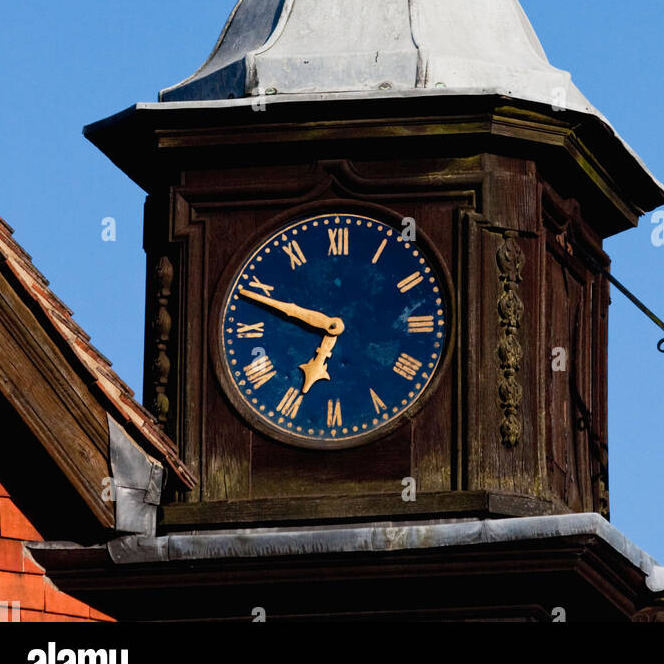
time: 6:48
